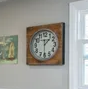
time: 1:30
